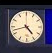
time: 4:42
